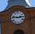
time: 2:46
